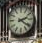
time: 2:21
